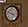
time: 3:48
